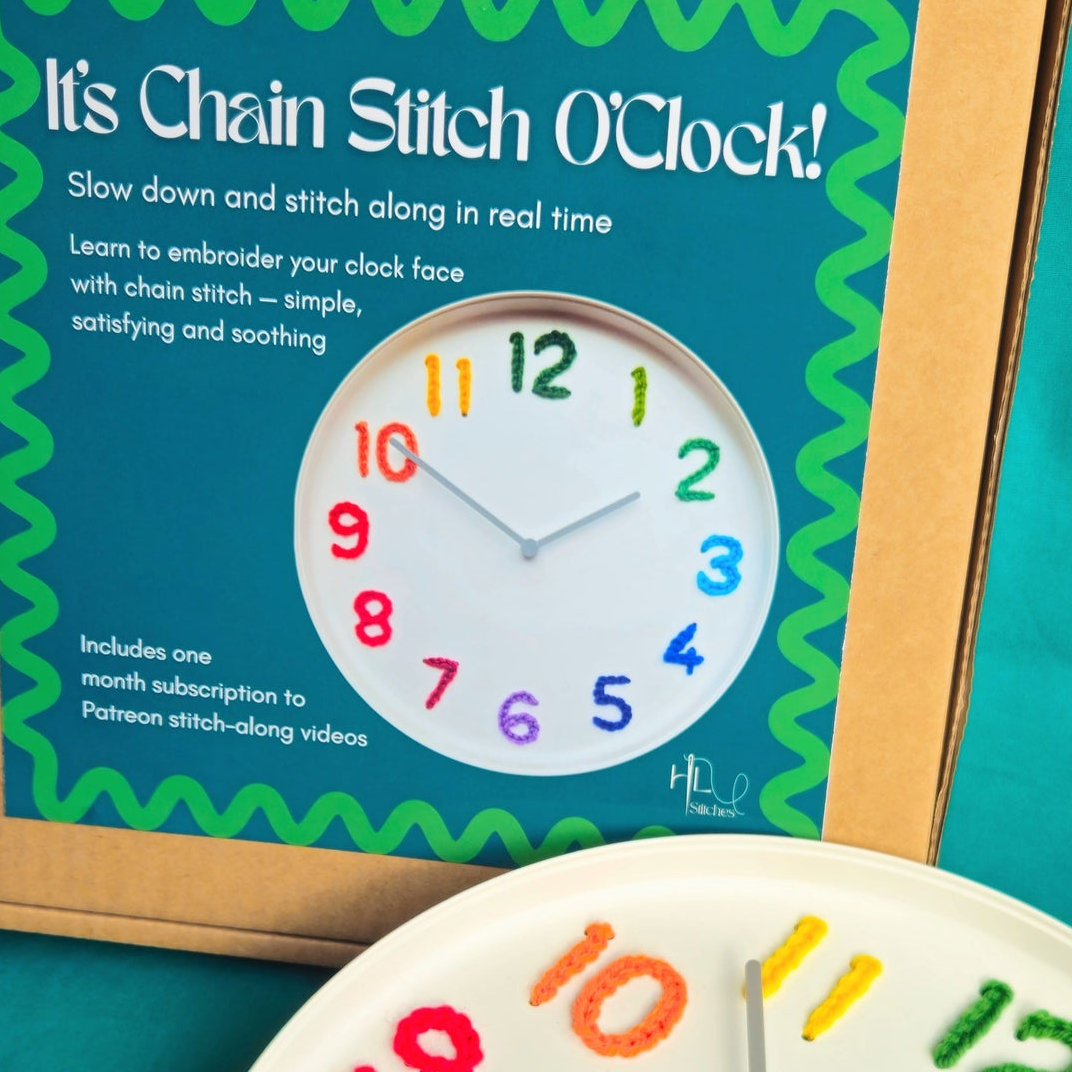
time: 1:50
